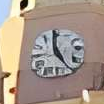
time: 4:59
